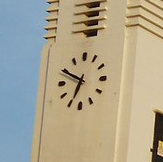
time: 6:49
